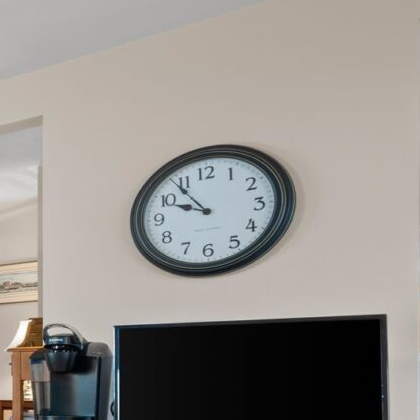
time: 9:53
